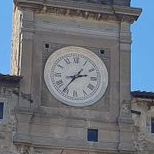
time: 2:36
